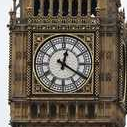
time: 12:20
